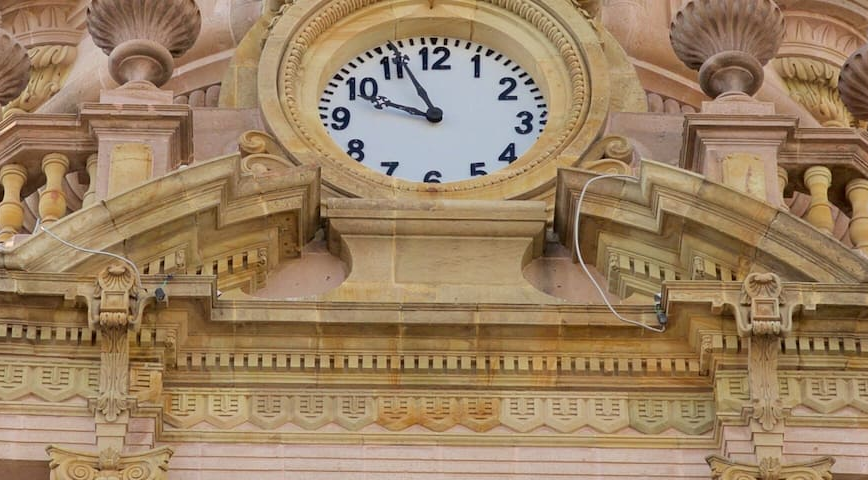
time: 9:56
